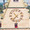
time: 10:37
